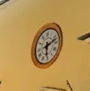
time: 6:12
